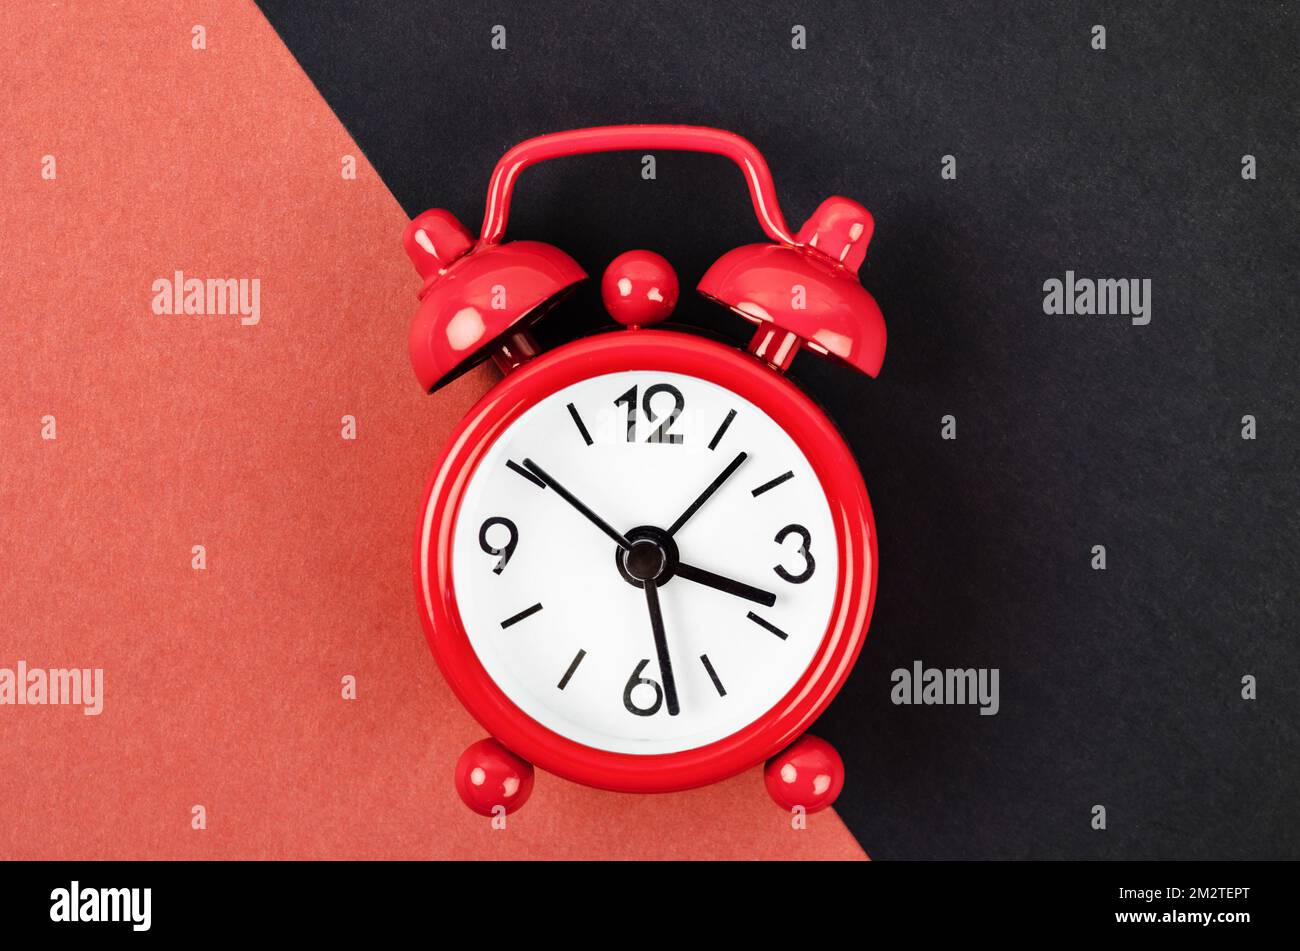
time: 3:28
